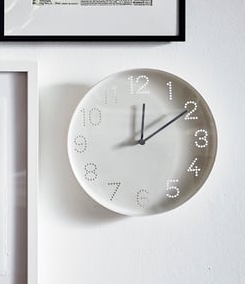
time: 12:09
